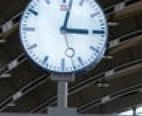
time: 3:02
